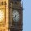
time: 7:32
